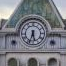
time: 5:33
